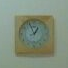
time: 12:56
